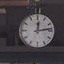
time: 12:13
